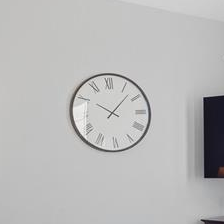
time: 10:07
